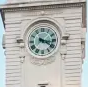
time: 3:20
